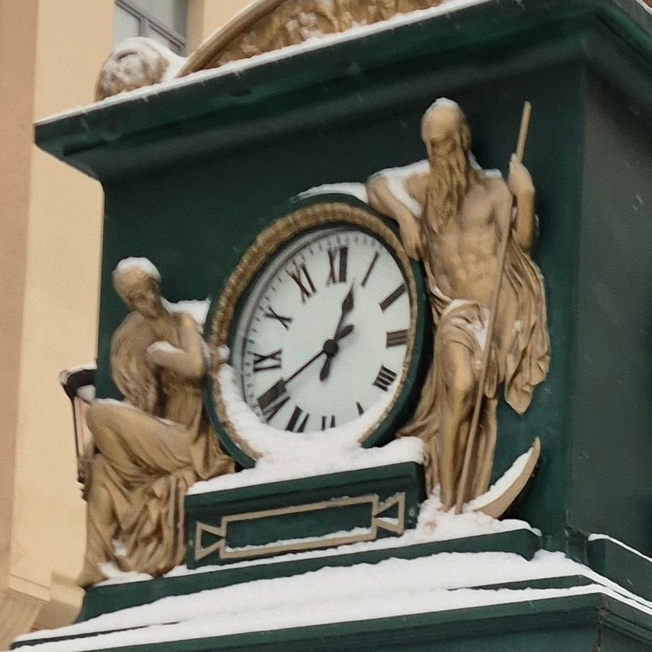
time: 12:40
